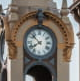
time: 7:52
